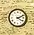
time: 4:10
